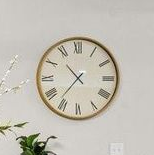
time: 10:36
